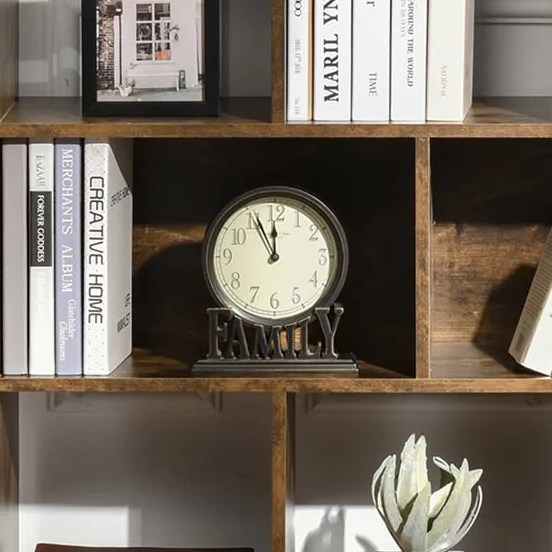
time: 11:55
